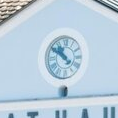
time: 10:50
